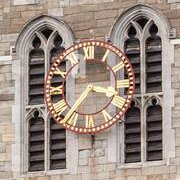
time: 3:37
